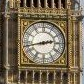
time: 2:43
